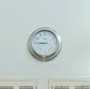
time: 8:45
